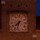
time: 7:32
